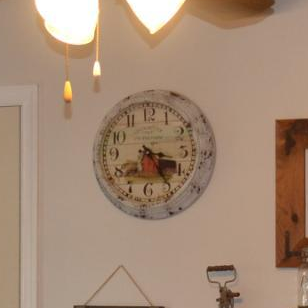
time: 3:23
